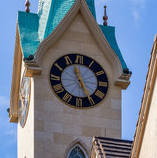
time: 11:25
